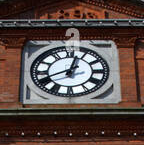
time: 12:41
